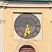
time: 6:14
